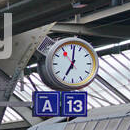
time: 7:01
